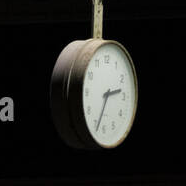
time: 2:34
